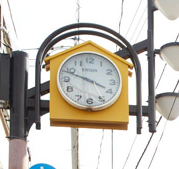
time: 3:48
